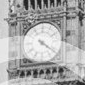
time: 4:21
